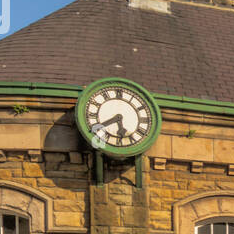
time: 5:40
